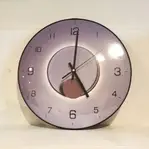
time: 5:00
